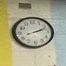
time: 2:11
